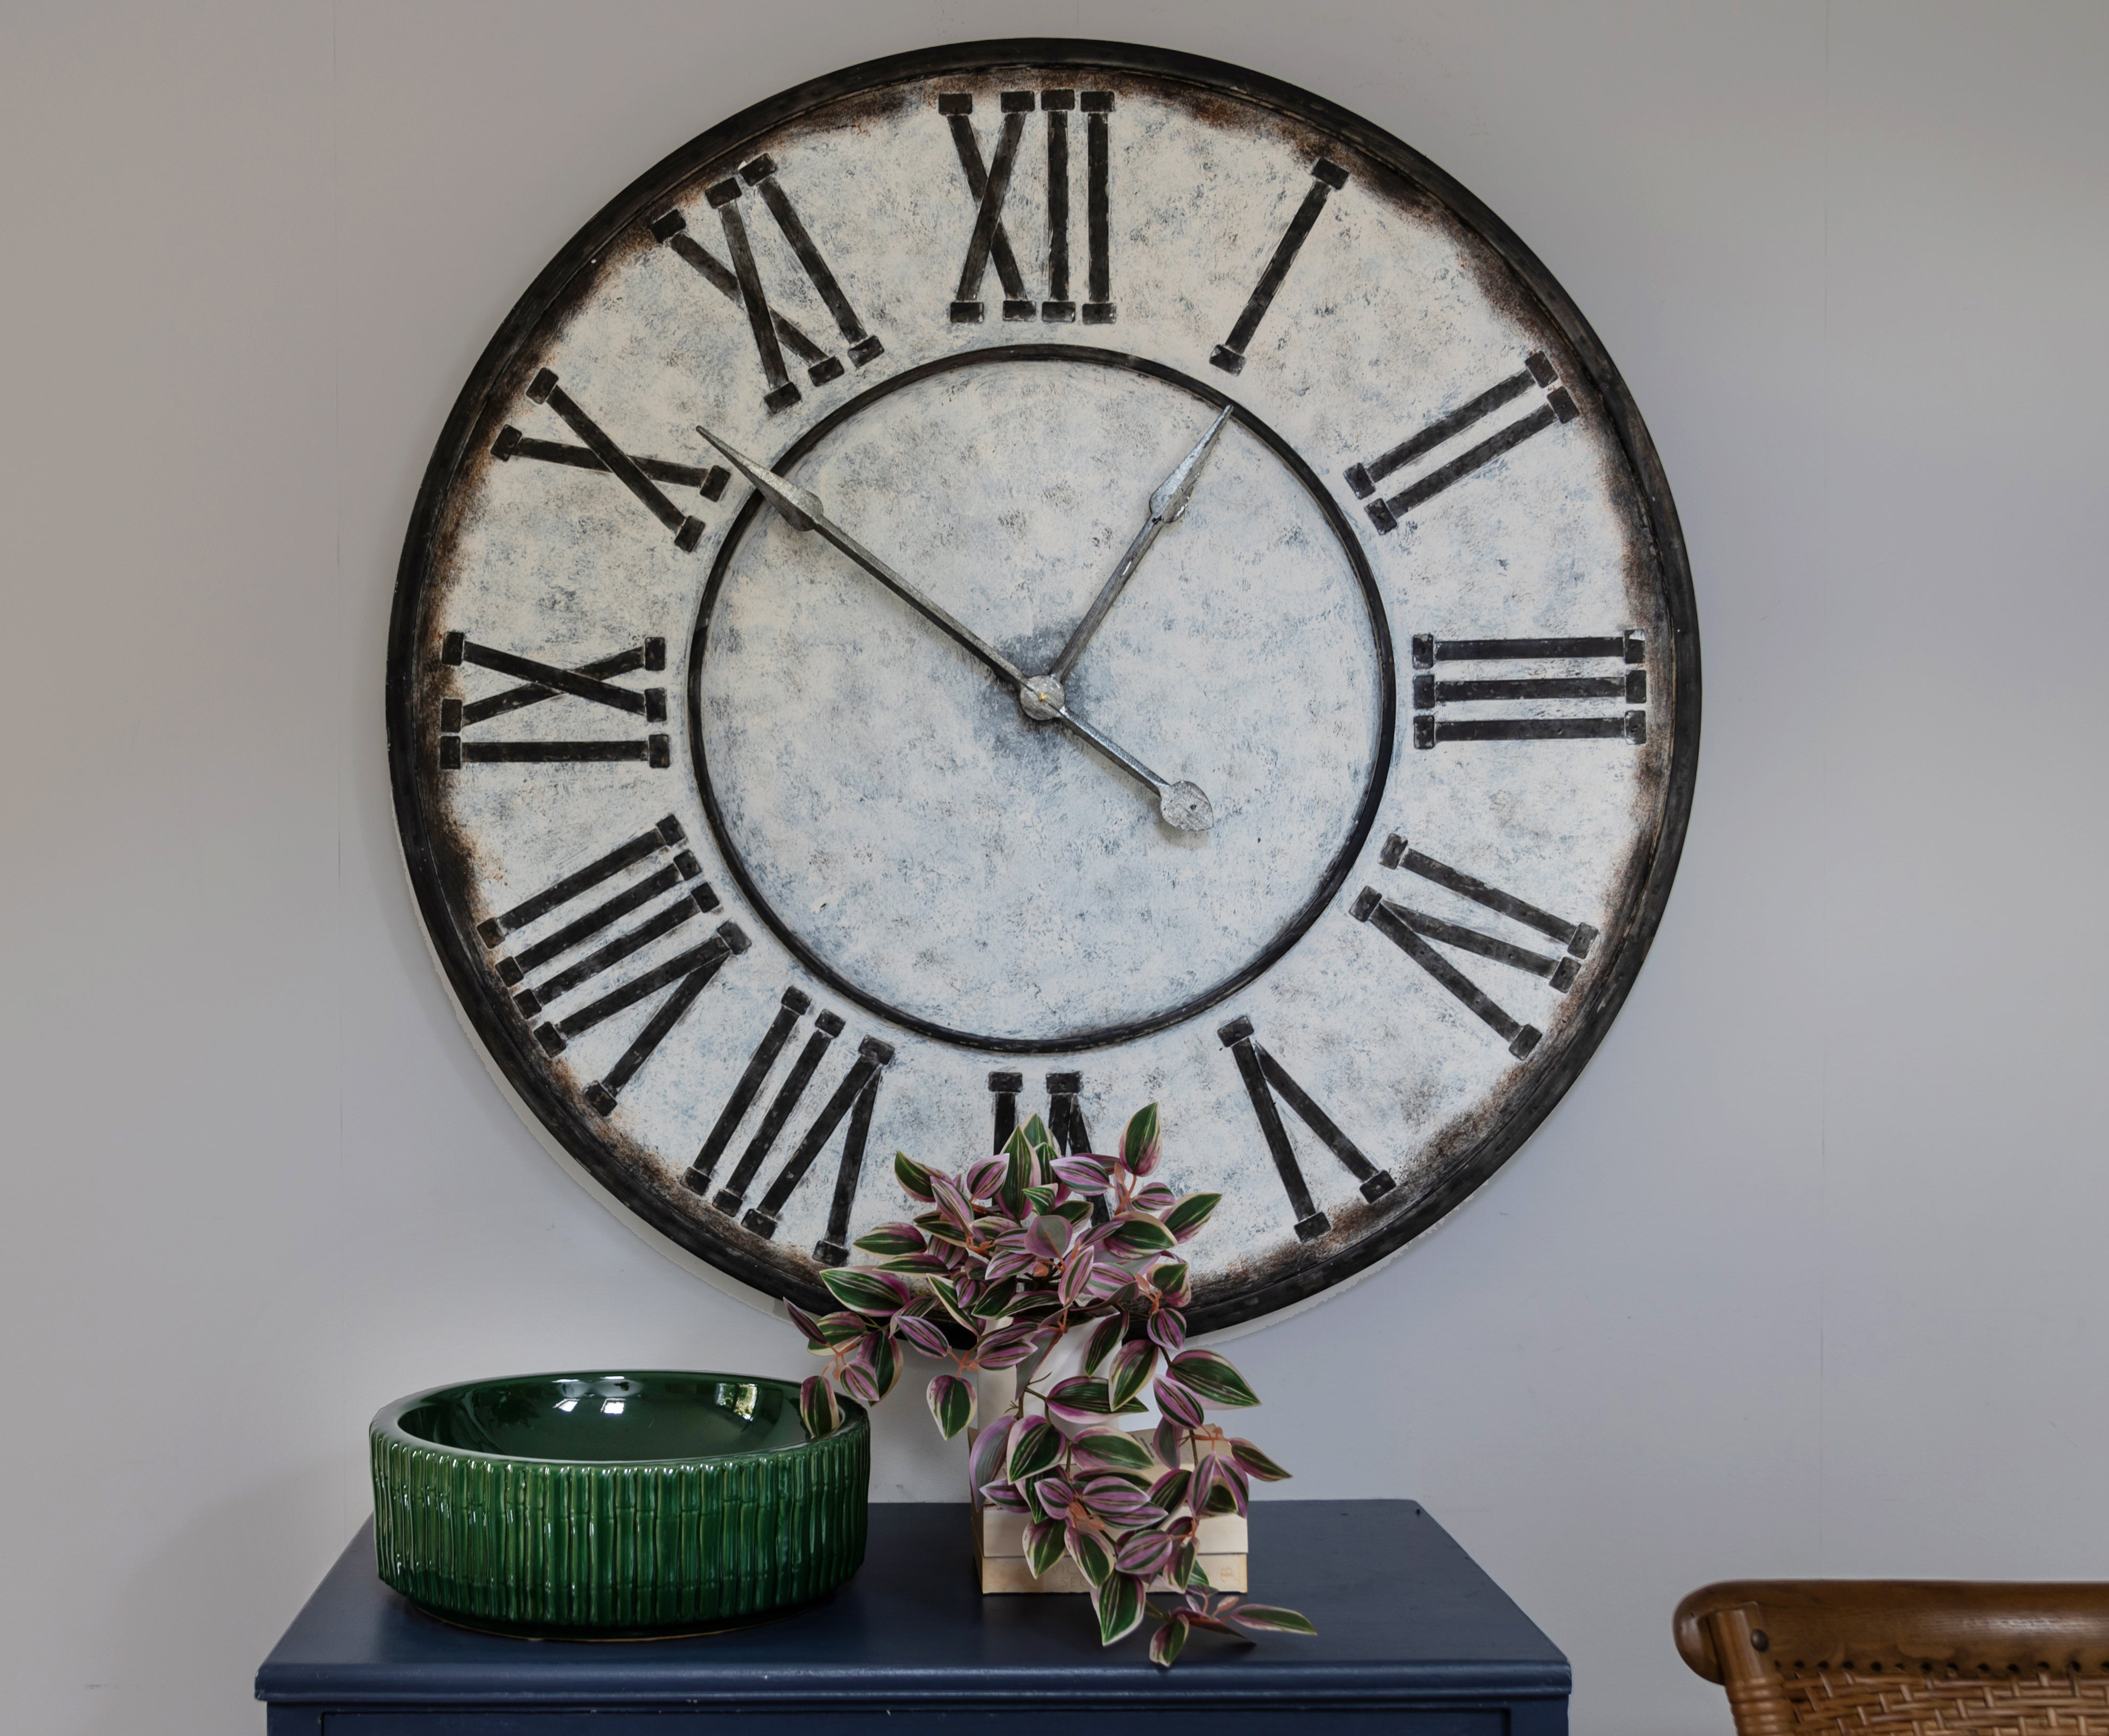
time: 12:51
